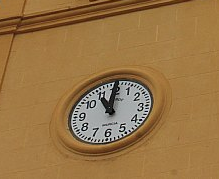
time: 11:00
